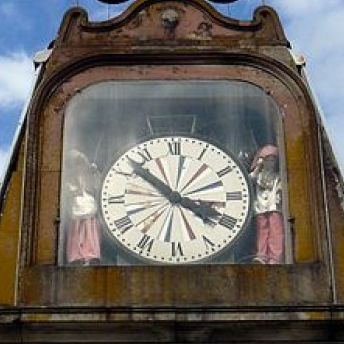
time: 3:52
